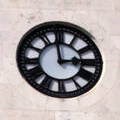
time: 2:58
